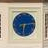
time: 6:13
